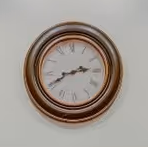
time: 2:40
